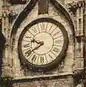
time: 9:40
